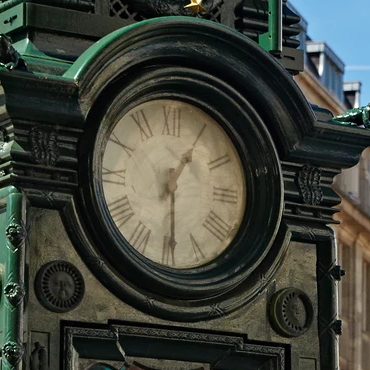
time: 1:29
